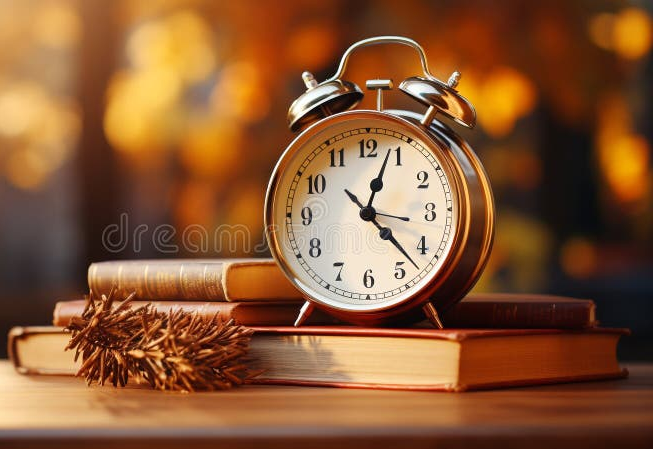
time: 12:22
